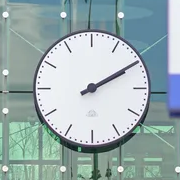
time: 2:10
